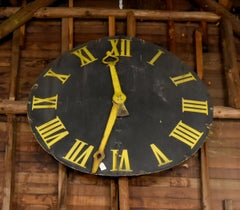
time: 11:32
